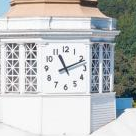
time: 11:11
